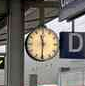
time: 11:30
